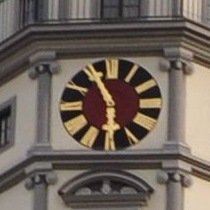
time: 5:55
